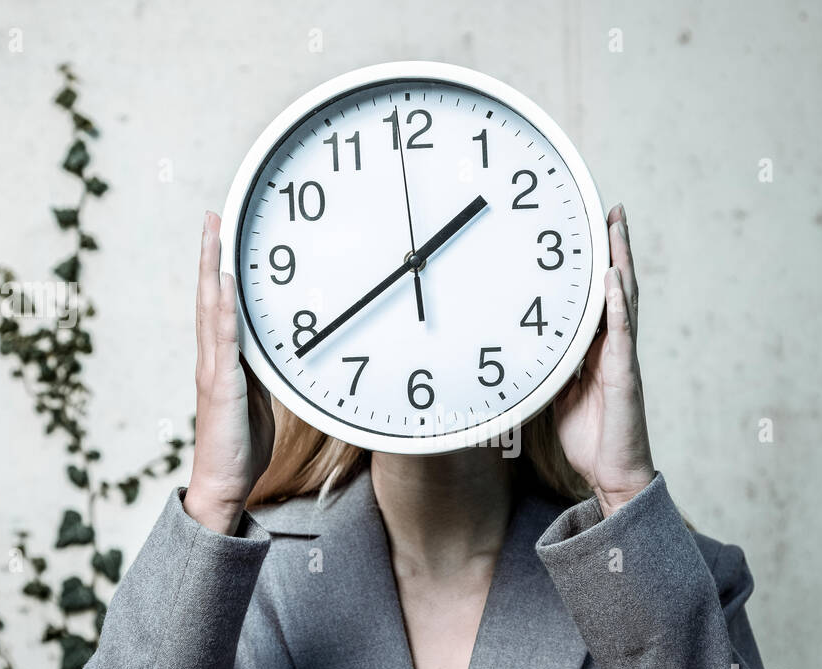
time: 1:39
